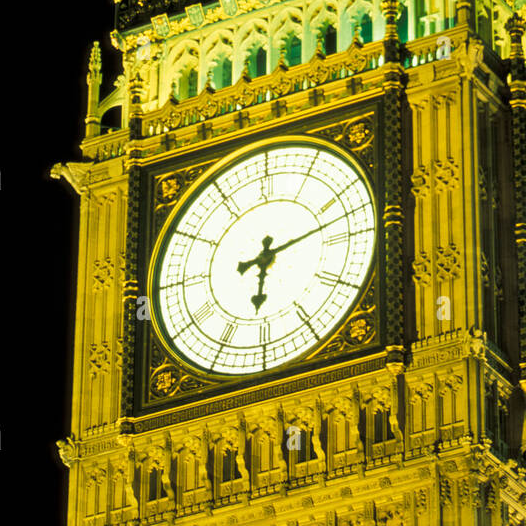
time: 6:12
